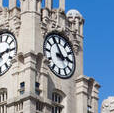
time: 2:54
